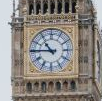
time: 10:45
